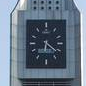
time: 6:21
